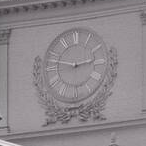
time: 2:47
